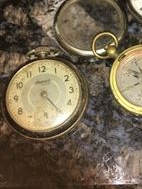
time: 12:24
